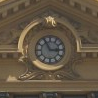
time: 2:55
